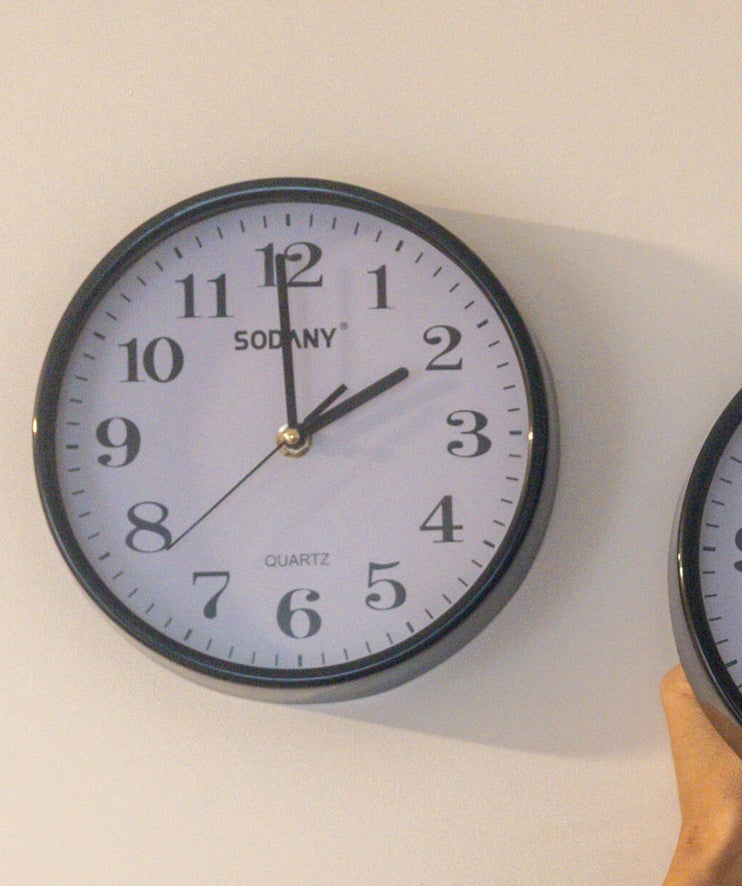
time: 1:59
